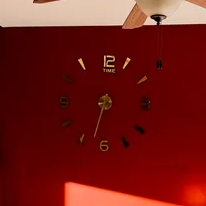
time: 6:32
